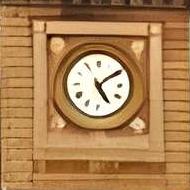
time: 5:09
